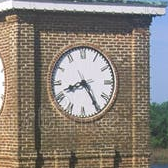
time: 8:24
